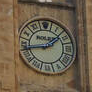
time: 1:43
